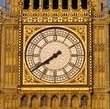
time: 7:39
